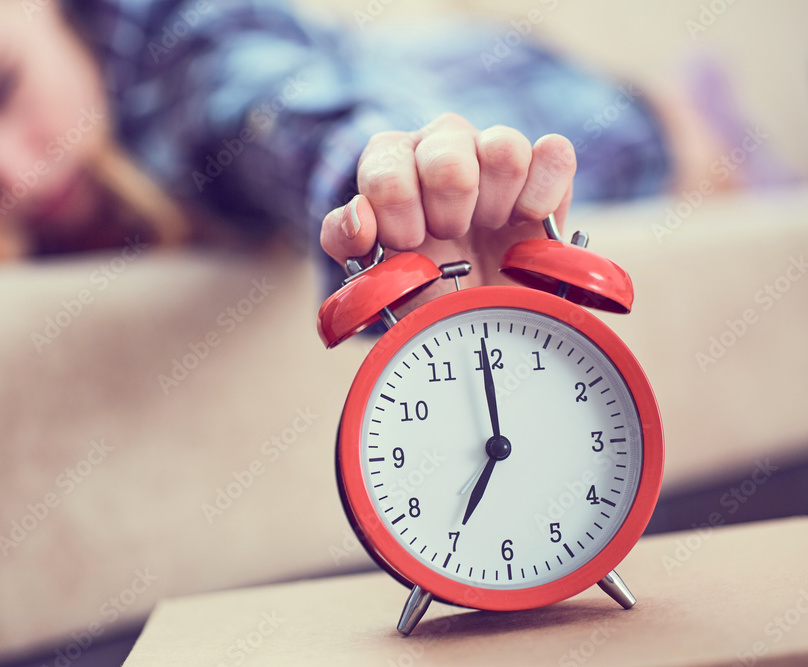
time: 6:59
